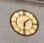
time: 1:31
